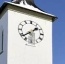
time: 1:38
